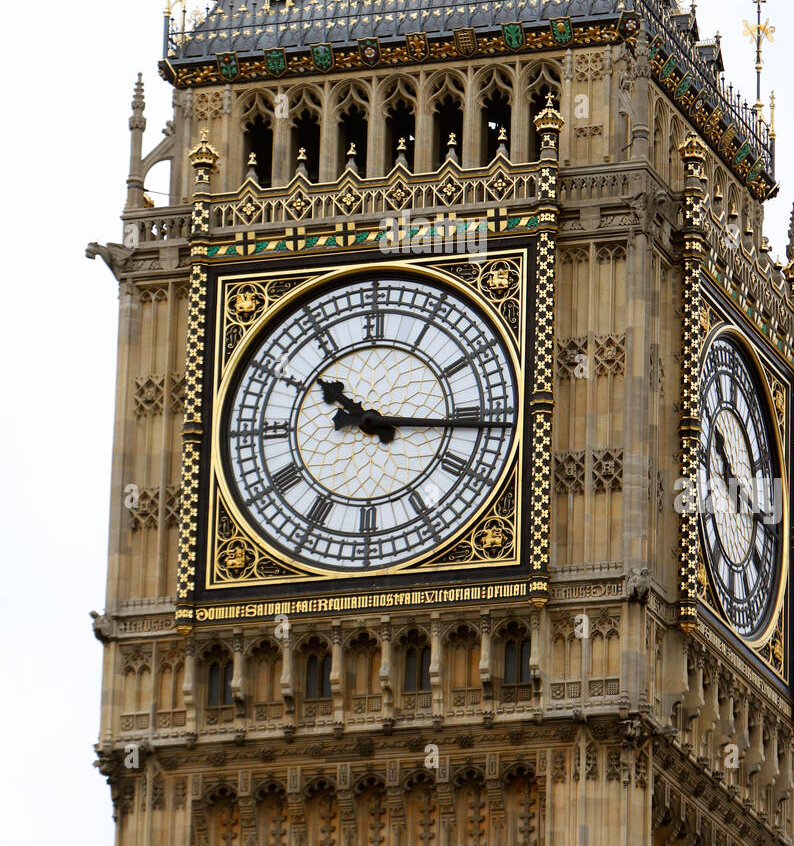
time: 10:15
